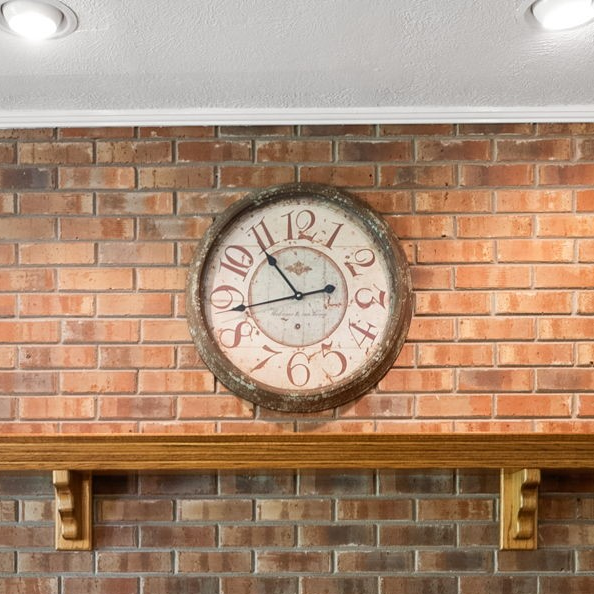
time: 10:43
